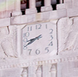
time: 8:40
